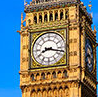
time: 8:17
